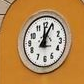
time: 12:04
